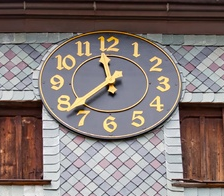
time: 11:37
